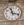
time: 11:17
